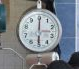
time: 6:00
